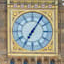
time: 7:05
